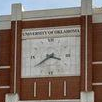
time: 3:39
